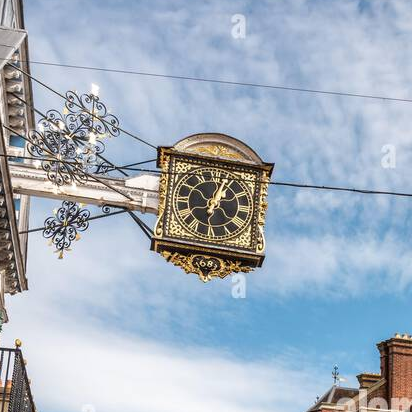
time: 1:02
